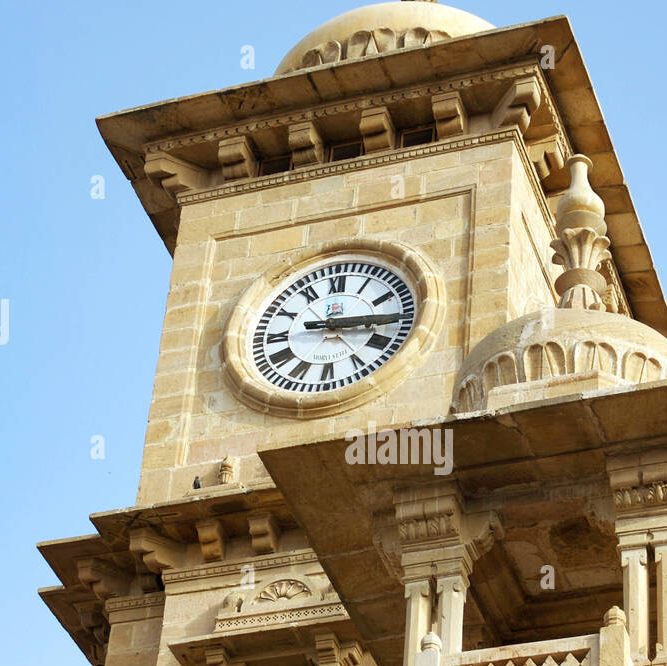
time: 3:14
